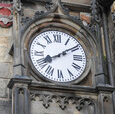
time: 8:09
